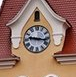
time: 9:16
